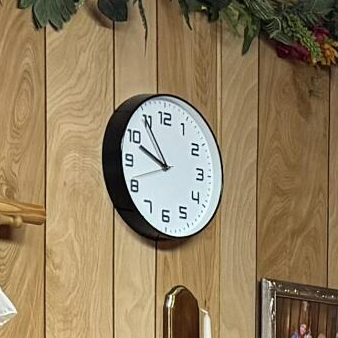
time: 9:54
